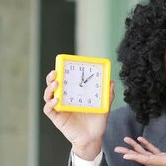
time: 12:08
